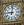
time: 9:01
